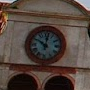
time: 10:00
